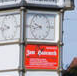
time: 9:42
